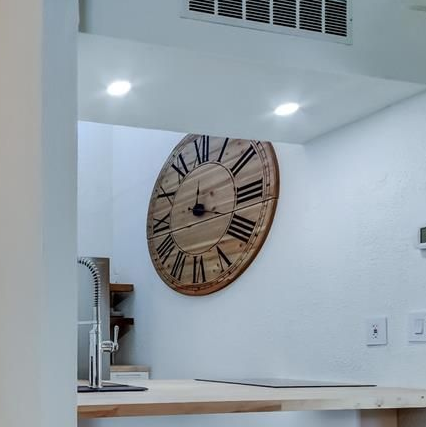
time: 12:18
